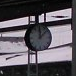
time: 12:07
